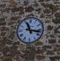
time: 11:16
